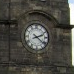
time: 2:21
